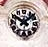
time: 10:08
